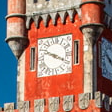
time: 3:48
